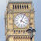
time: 4:04
